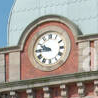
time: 9:45
